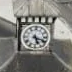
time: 5:18
